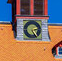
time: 2:24
